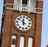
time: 11:50
